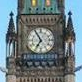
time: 6:54
